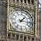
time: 1:16
